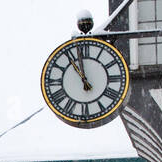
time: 10:58
